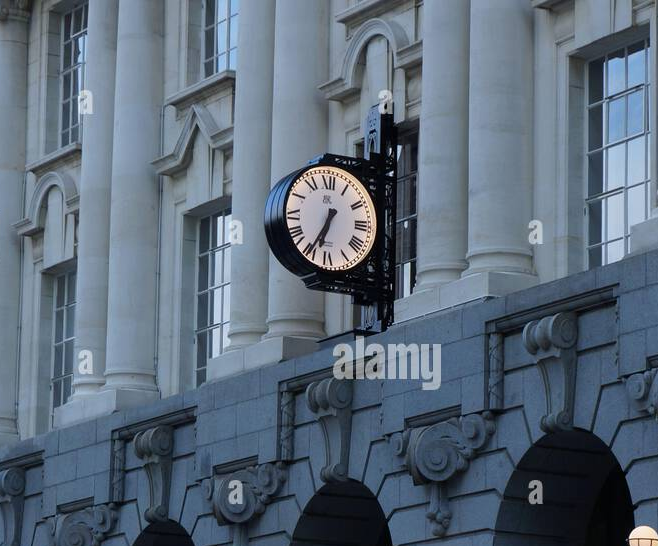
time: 6:34
